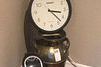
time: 3:22
